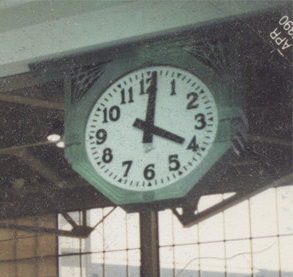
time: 4:01
